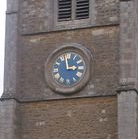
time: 2:58
